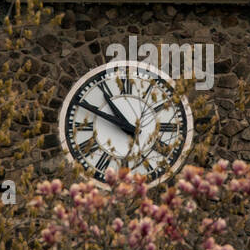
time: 10:49
